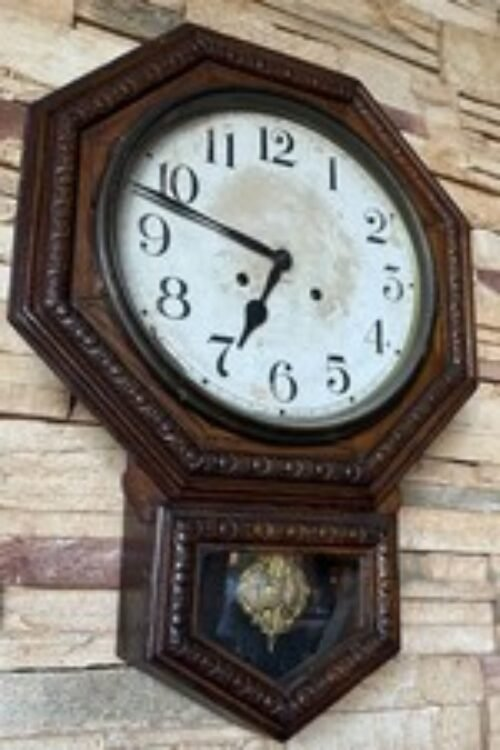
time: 6:48
